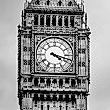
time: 4:17
